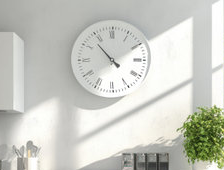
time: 10:39
